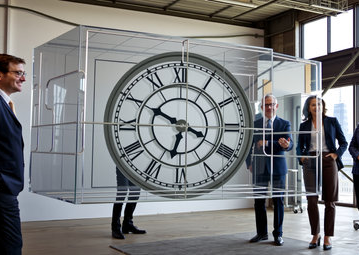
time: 6:49
